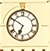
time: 6:50
